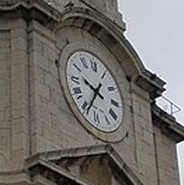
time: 9:34
